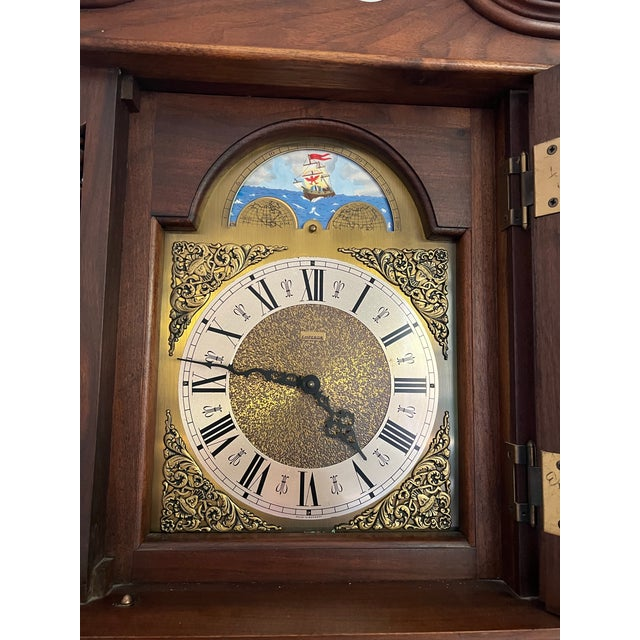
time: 4:46
